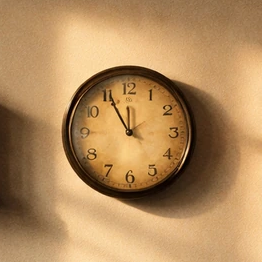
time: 11:55
